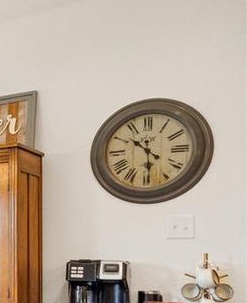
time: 10:29
